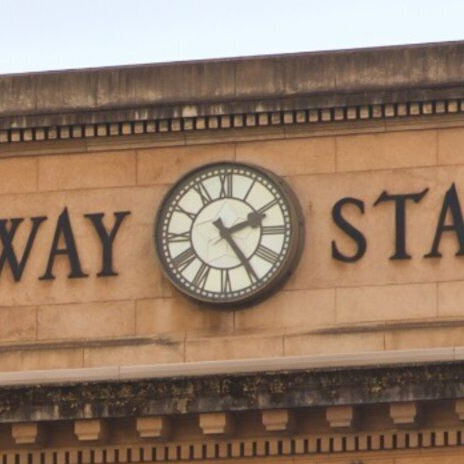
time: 2:24
